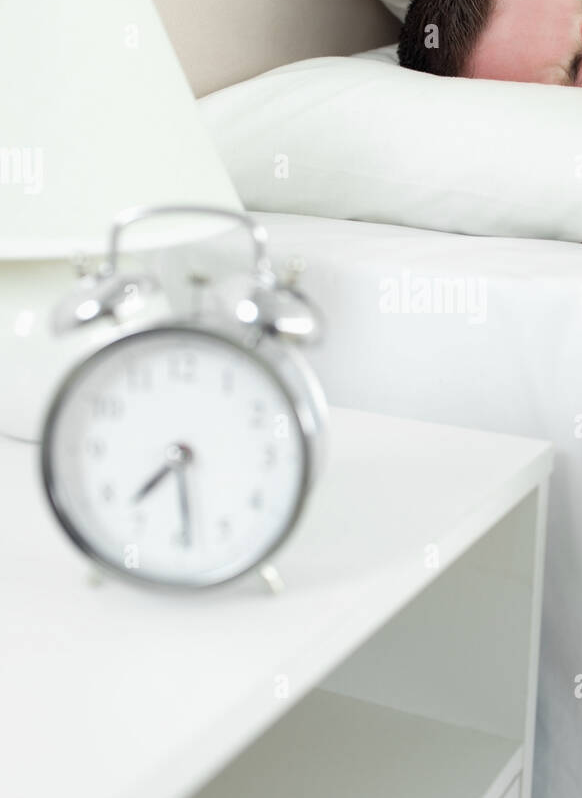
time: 7:29
